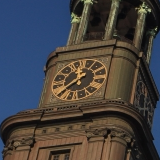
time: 11:37
